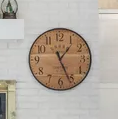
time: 1:26
